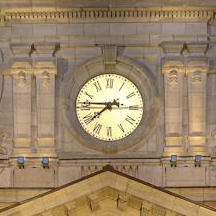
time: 7:45
